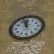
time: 11:56
